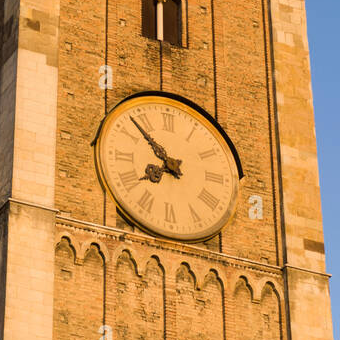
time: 7:52
